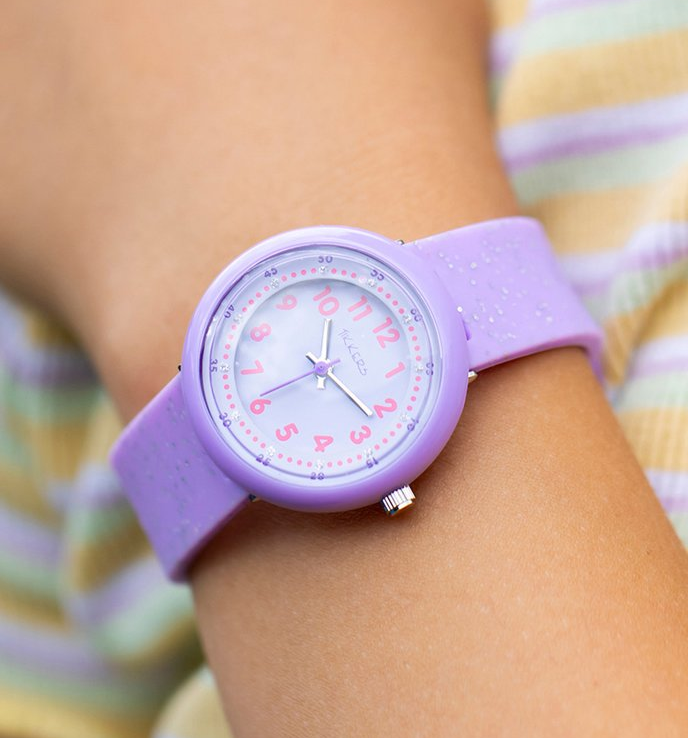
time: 12:21
